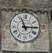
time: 11:14
